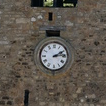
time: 2:13
